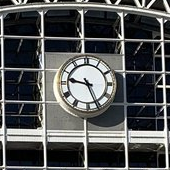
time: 9:26
